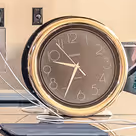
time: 9:34
